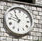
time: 10:47
